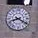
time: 8:20
